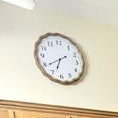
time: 6:39
